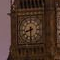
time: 8:30
